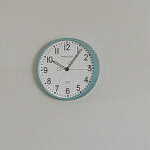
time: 10:06
